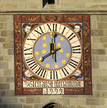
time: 8:01
